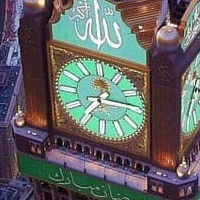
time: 7:14
